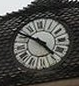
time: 4:50
